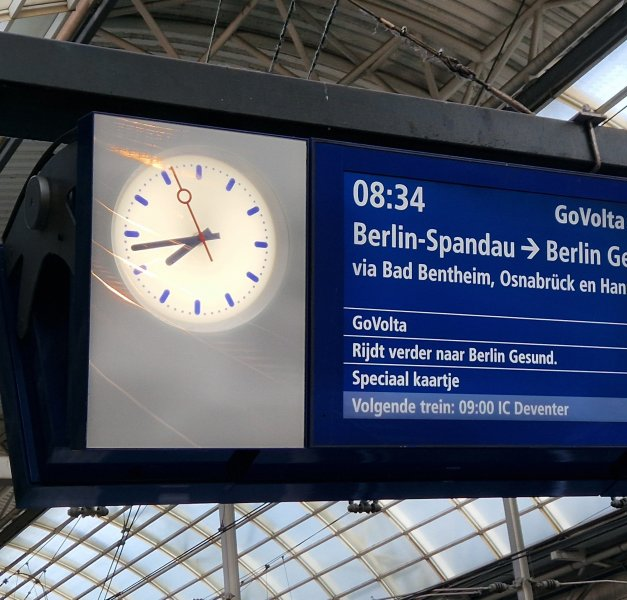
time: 7:42
